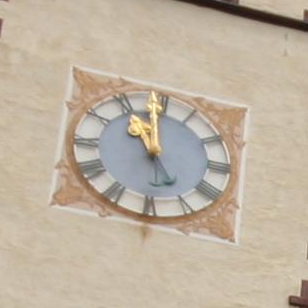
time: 10:59
